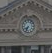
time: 7:34
